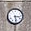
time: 3:28
